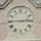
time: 2:45
